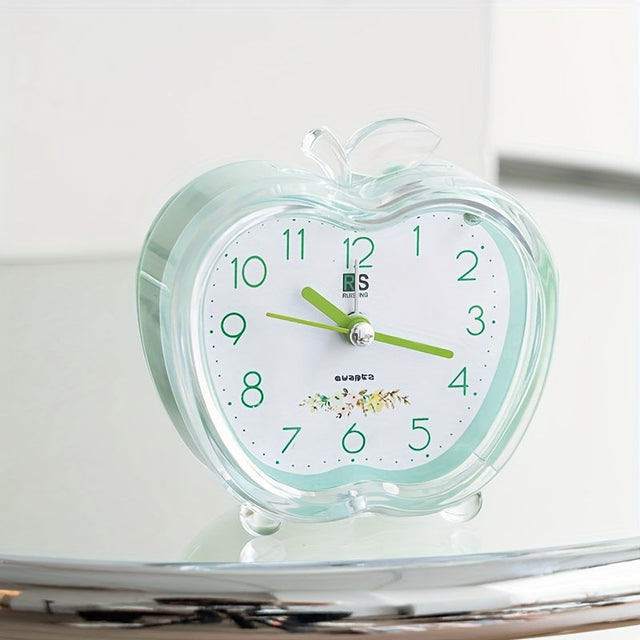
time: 10:18
